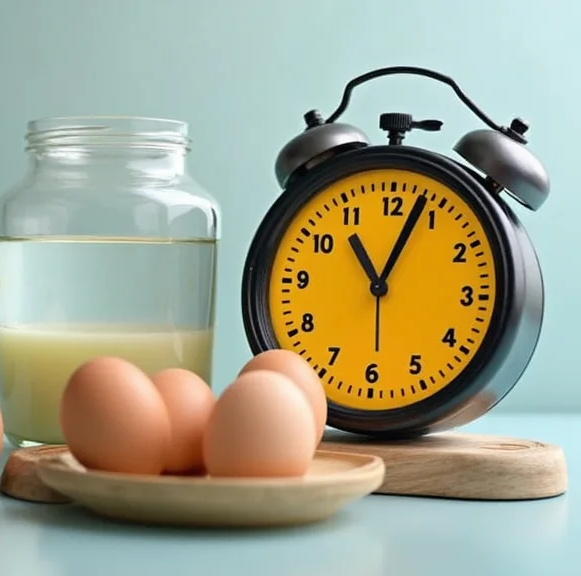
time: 11:03
